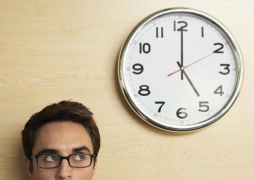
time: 5:00
